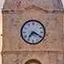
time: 7:19
